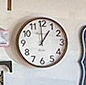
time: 12:59
